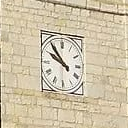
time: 9:53
